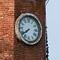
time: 7:39
